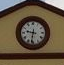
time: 9:32
